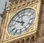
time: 9:57
